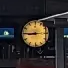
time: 8:45
